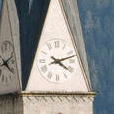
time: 4:12
